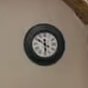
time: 5:50
